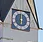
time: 5:59
